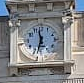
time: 11:32
